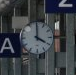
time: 4:00
